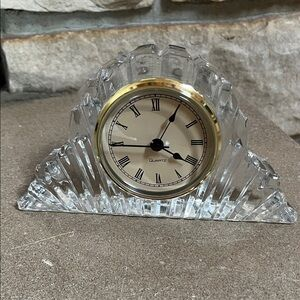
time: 4:04
